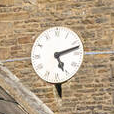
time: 5:12
